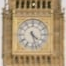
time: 4:27
